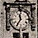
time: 11:35
